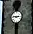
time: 2:46
